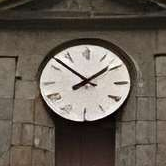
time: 1:51
